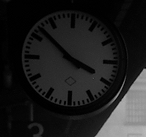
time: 3:52
